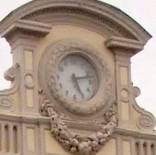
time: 5:12
